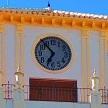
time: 6:53
